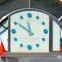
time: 11:50
